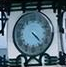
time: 4:22
